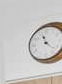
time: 11:22
